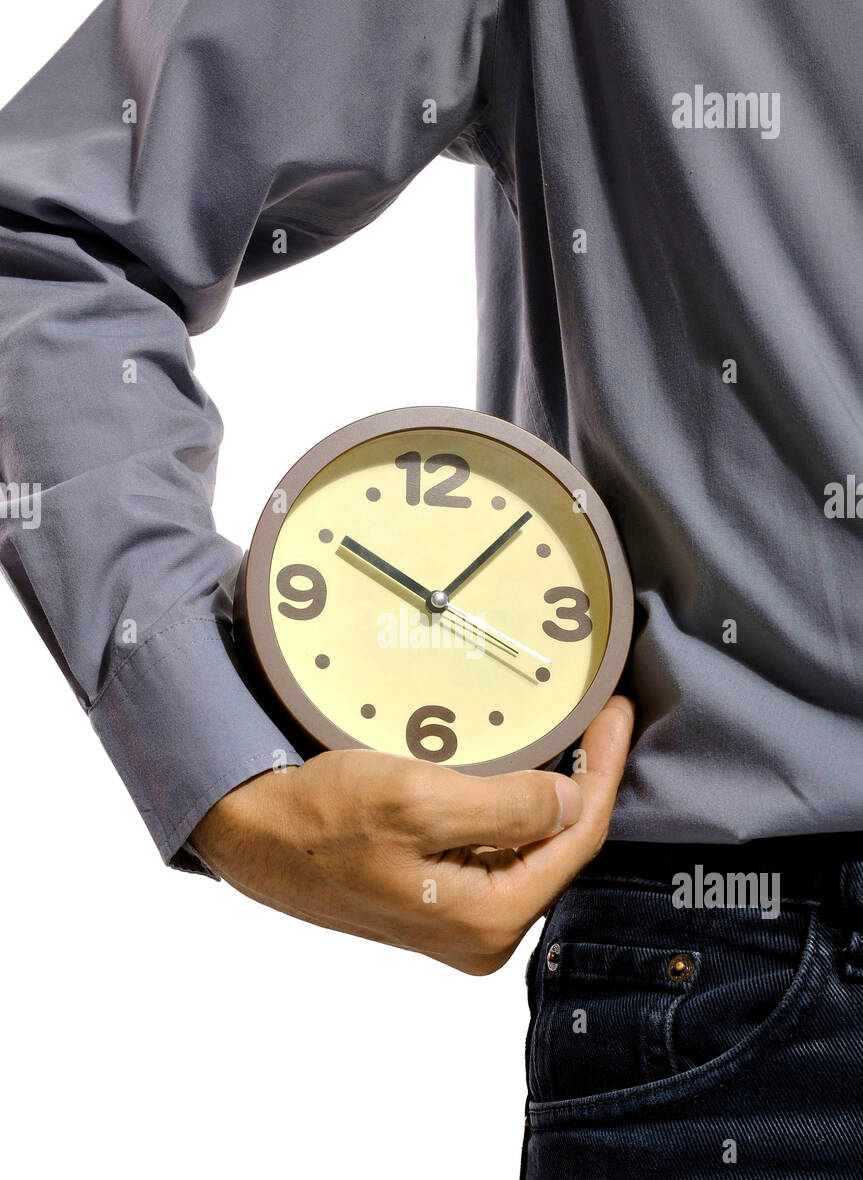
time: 10:07
